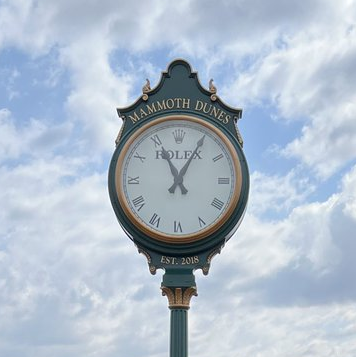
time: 11:05
